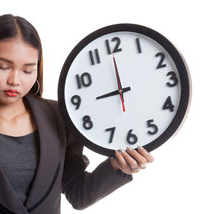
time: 8:59
